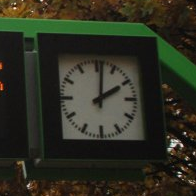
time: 2:01
